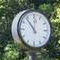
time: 11:53
